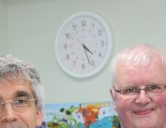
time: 4:26
